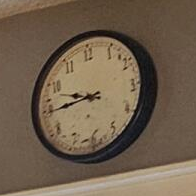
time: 9:44
